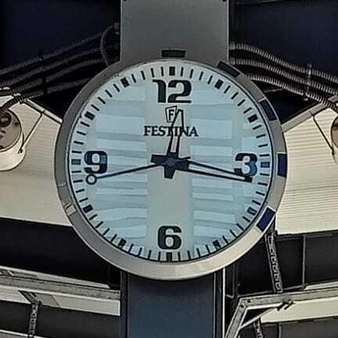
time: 12:16
